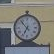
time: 6:53
